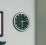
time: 2:29
